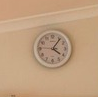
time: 4:06
